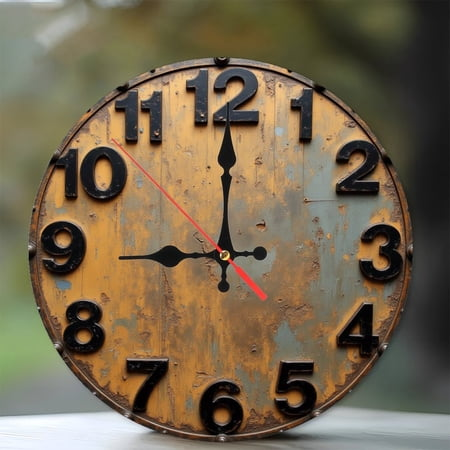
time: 9:00
